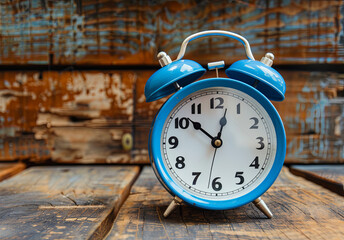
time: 12:51
